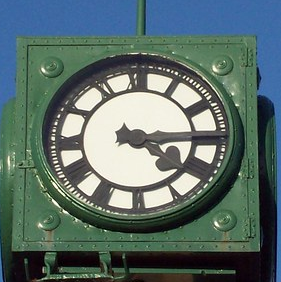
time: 4:15
